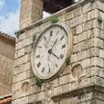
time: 1:21
